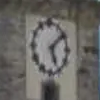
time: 5:08
